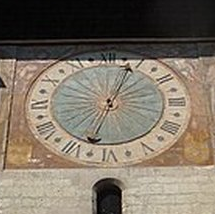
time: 12:32
